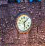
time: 1:28
